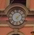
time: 5:08
